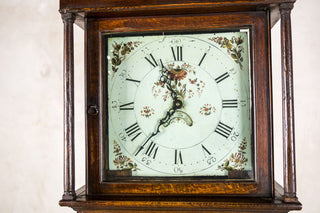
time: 11:36
